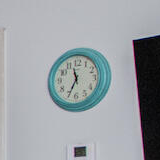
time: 11:34
